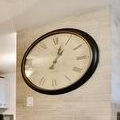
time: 1:02
